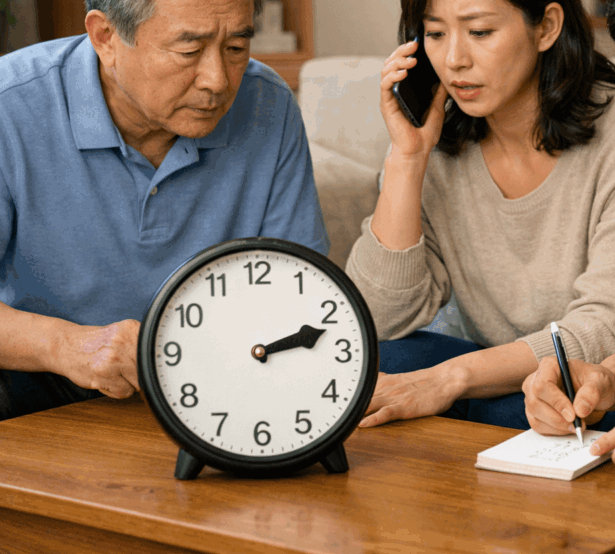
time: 2:12
